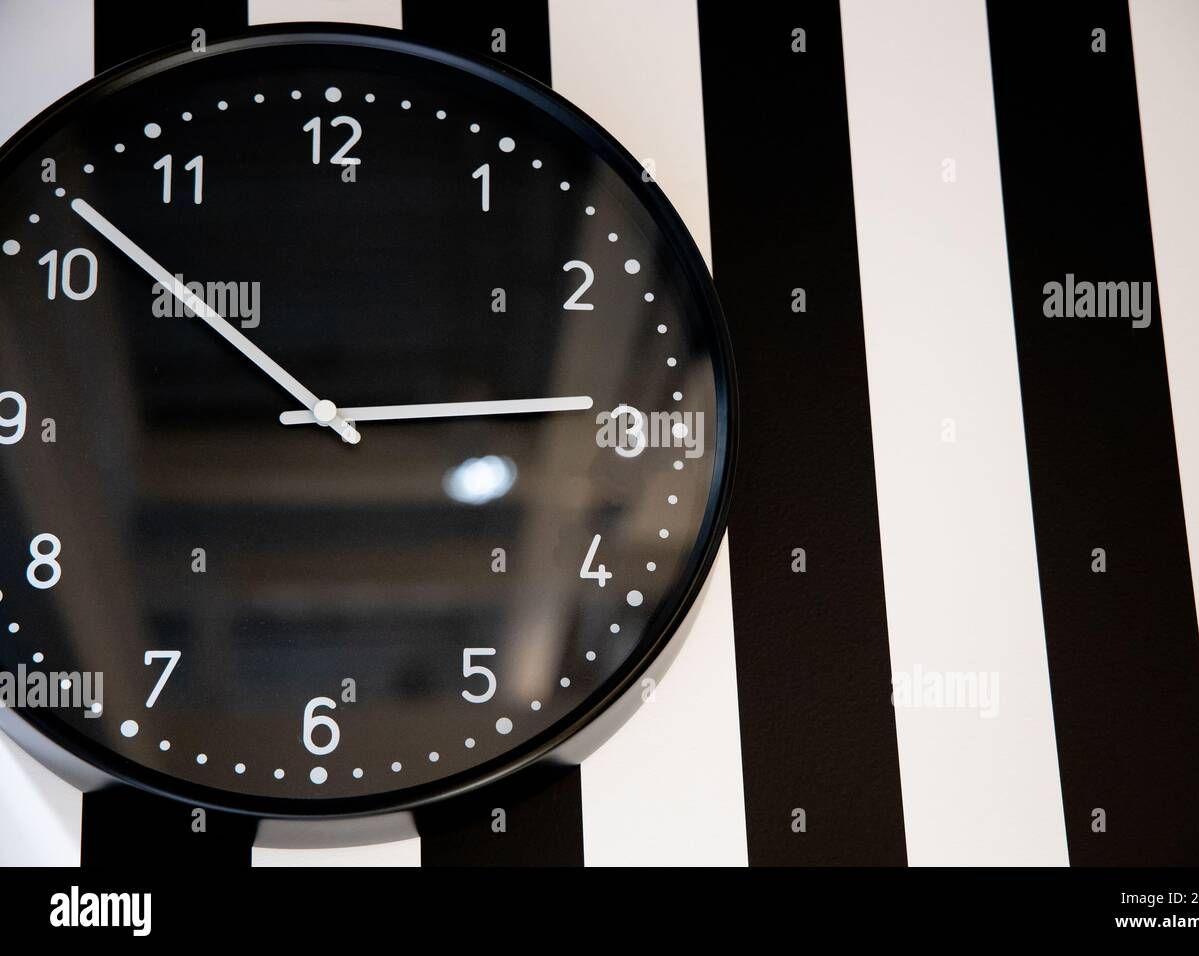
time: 2:52
